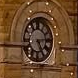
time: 5:14
